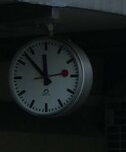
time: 11:52
